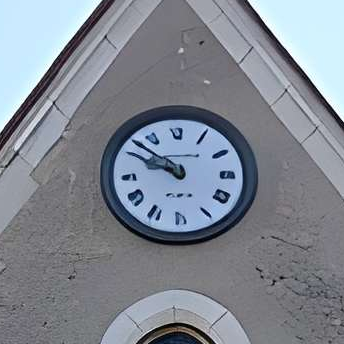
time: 9:51
